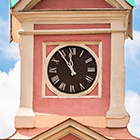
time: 11:54
